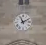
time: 11:10
